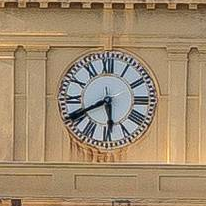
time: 5:40
